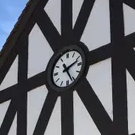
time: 2:25
